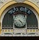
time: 4:22
